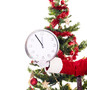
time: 10:54
